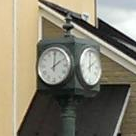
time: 2:00
